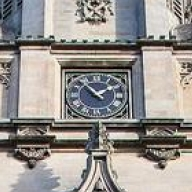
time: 1:53
